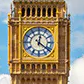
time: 12:21
